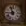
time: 8:56
